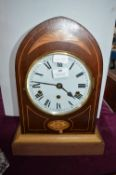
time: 4:21
